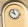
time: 9:57
